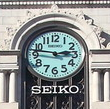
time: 2:46
